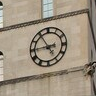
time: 4:44
